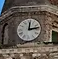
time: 12:13
